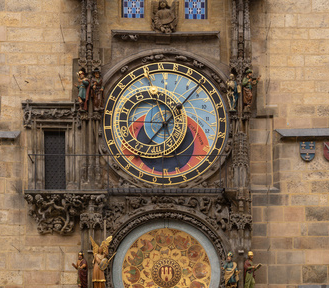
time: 7:07
